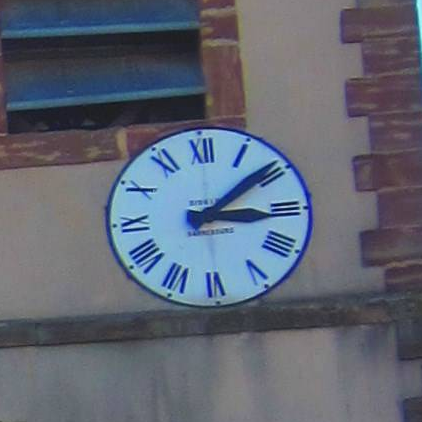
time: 3:09
